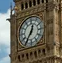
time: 12:35
